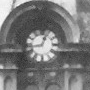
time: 12:43
